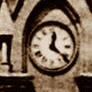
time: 12:21
